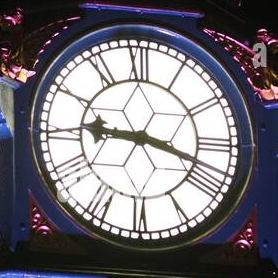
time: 9:17
